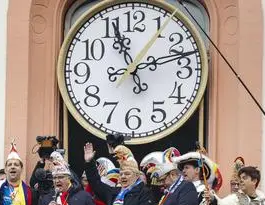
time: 11:12
